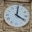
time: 4:01
